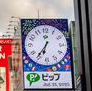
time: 6:36
